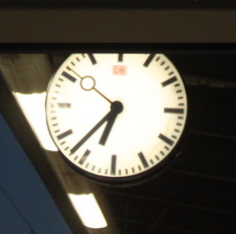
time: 6:37
